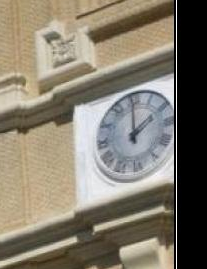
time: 2:00
